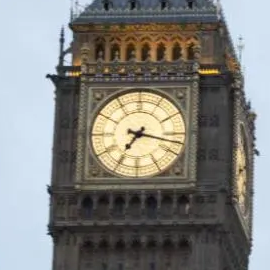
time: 7:17
